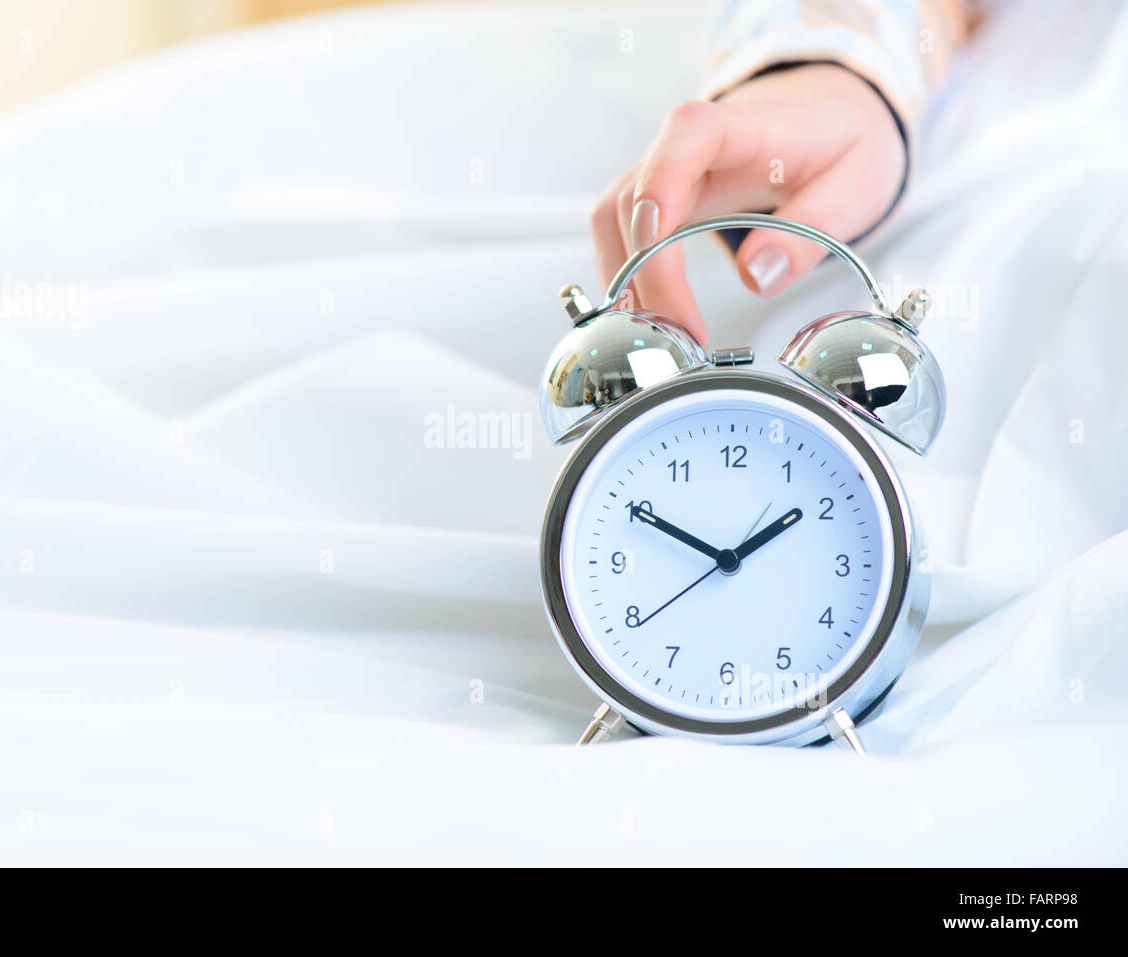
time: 1:50
